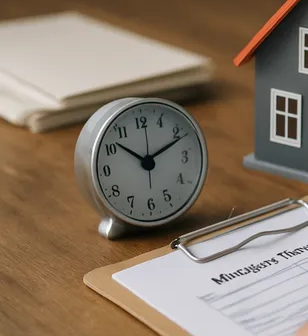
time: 10:11
